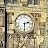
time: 2:29
